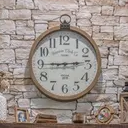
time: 2:45
